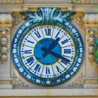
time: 1:18
